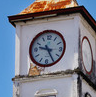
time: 9:25
